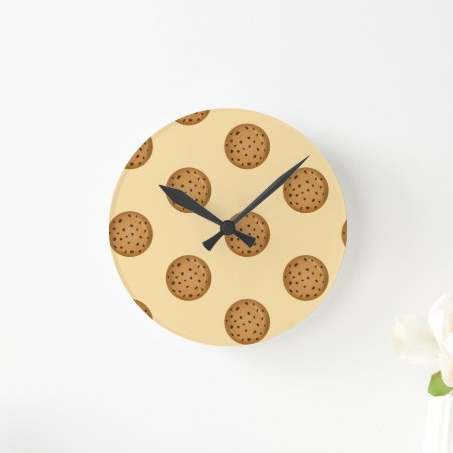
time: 10:07
